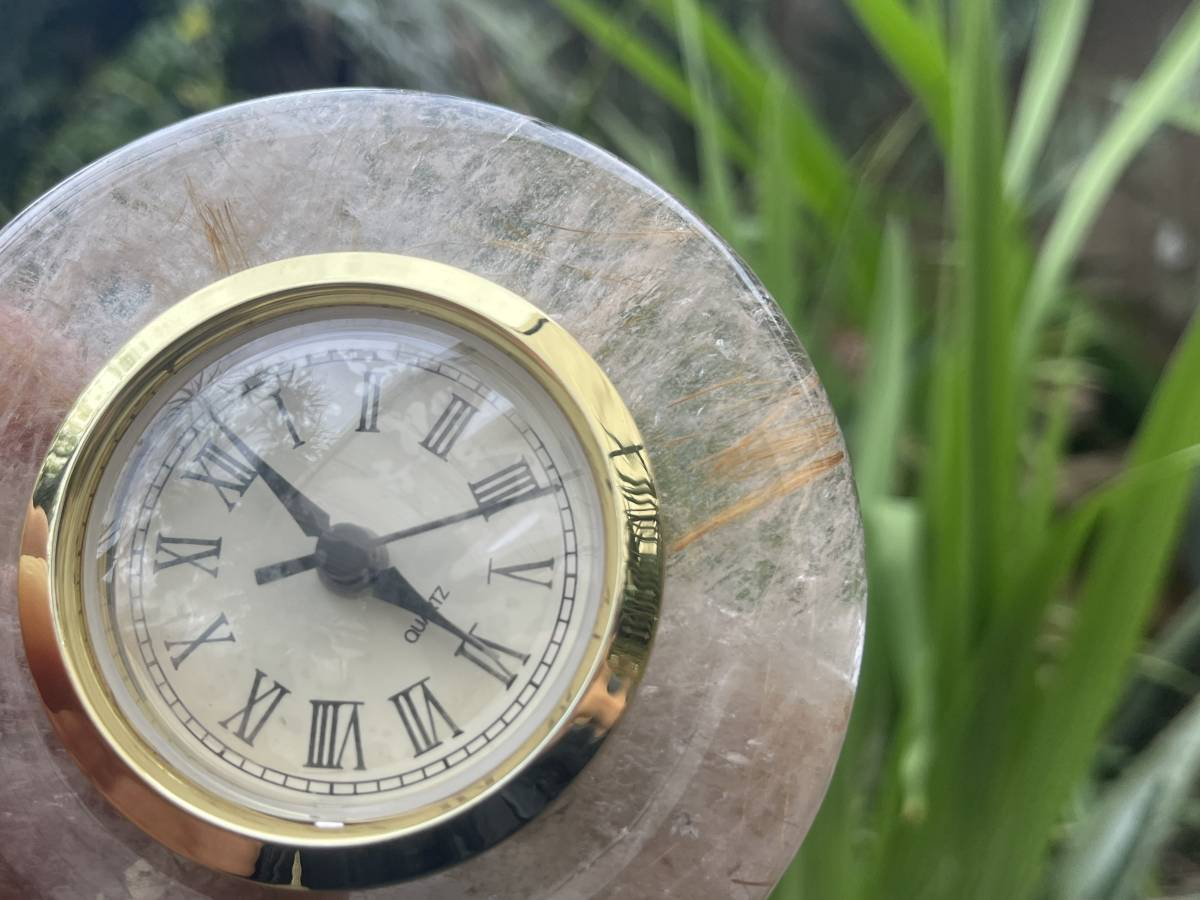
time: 8:52
